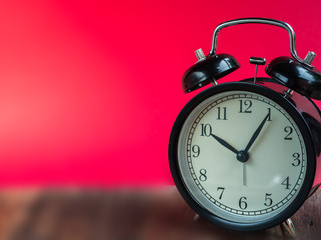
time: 10:05
